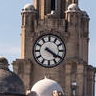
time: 4:20
